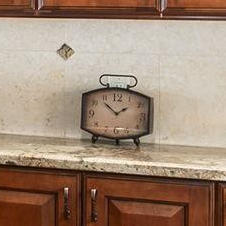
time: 1:53
